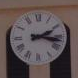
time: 2:16
